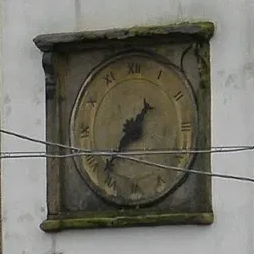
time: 7:36
